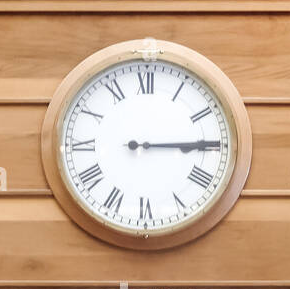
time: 3:14
